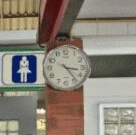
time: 3:23
